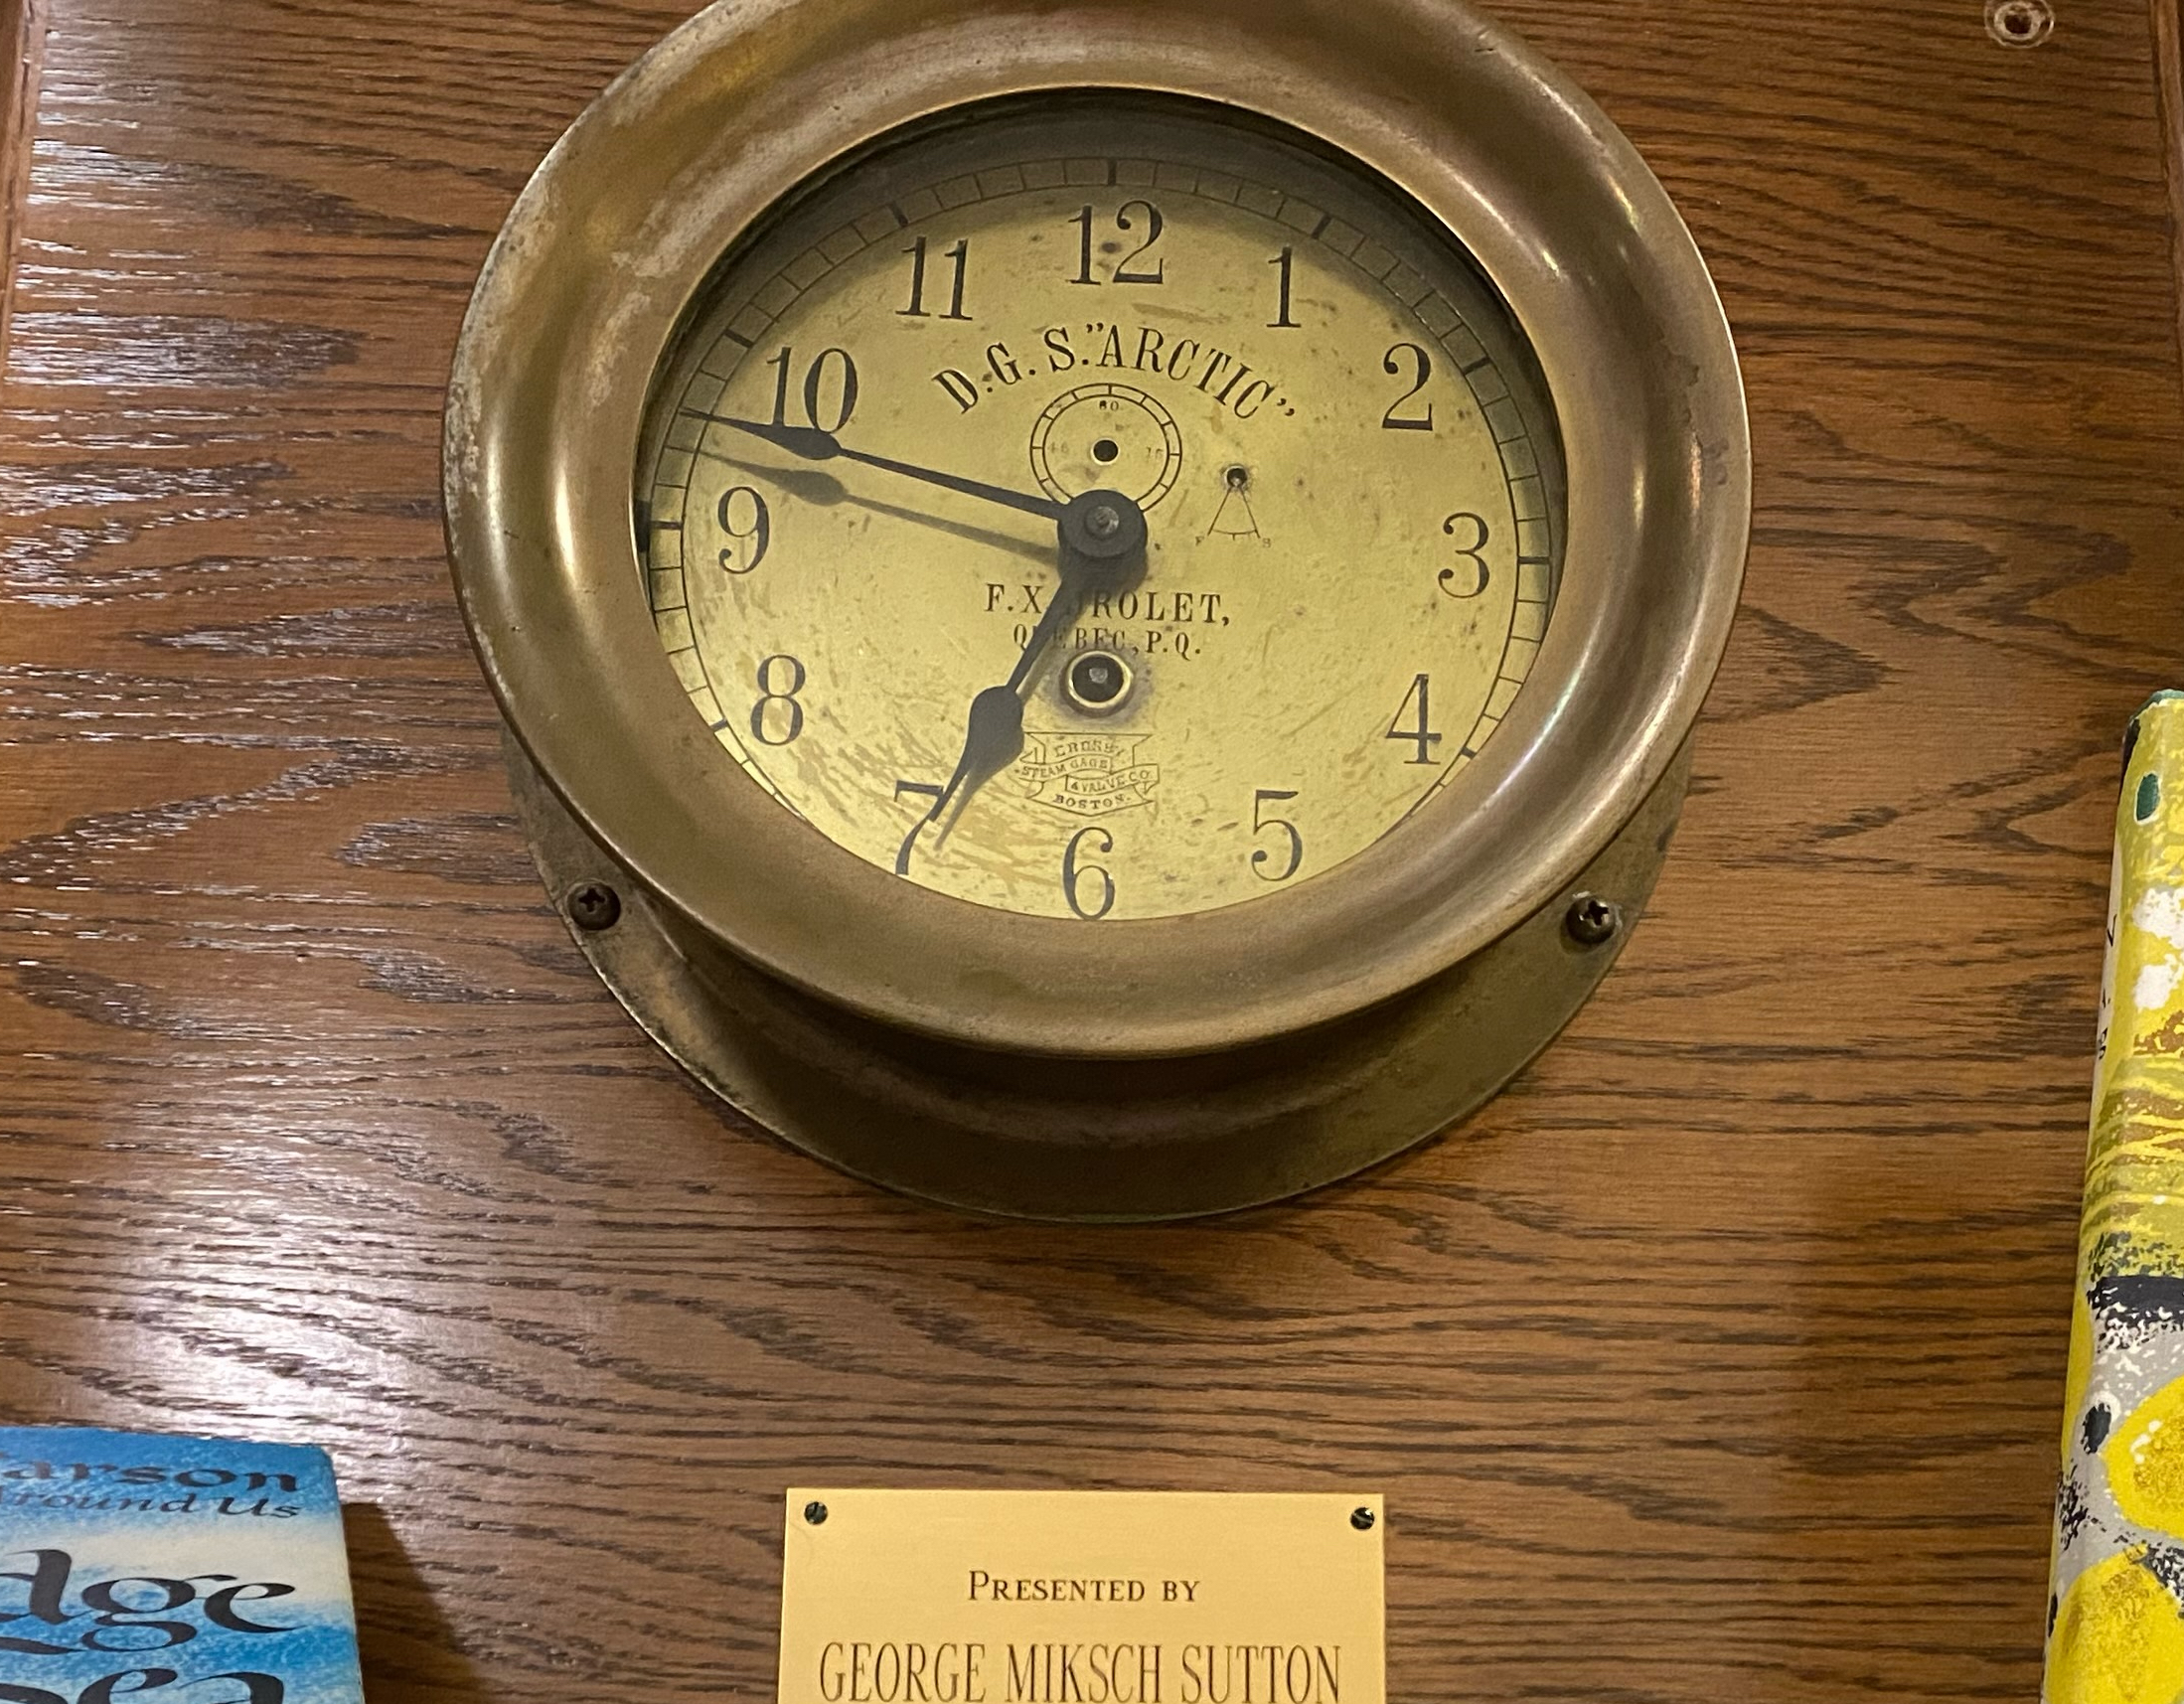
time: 6:47
